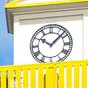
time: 10:07
